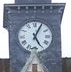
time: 5:04
